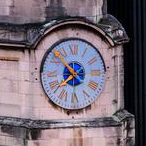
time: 7:52
